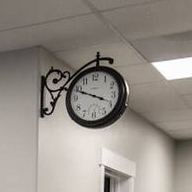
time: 3:48
